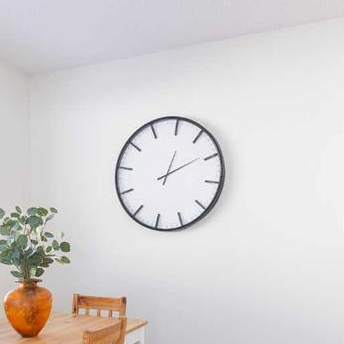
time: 12:09
